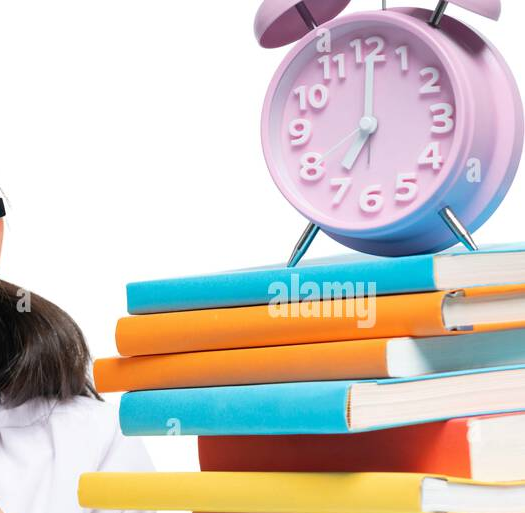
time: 7:00
